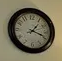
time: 1:18
